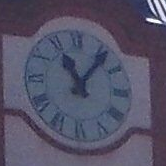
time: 11:06
